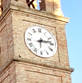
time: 6:13
